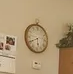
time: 5:40
